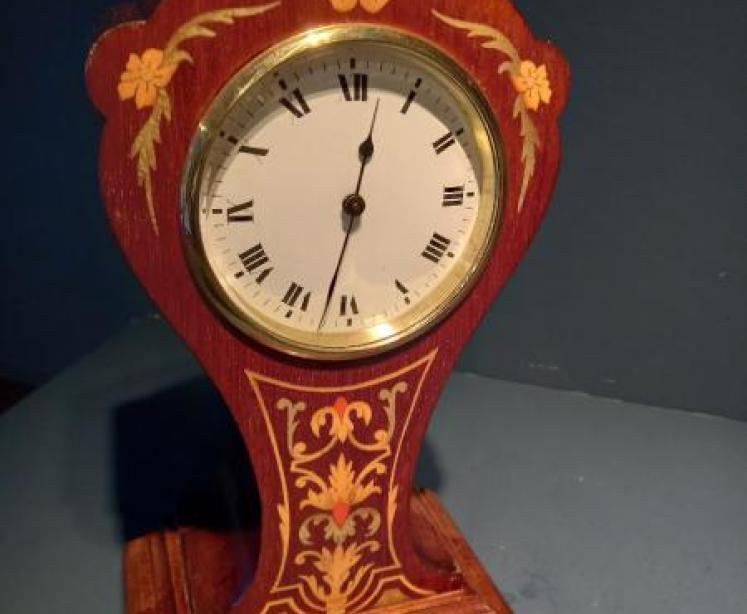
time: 12:32
